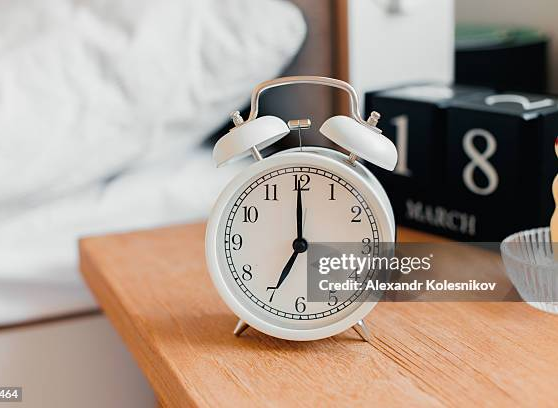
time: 7:00
